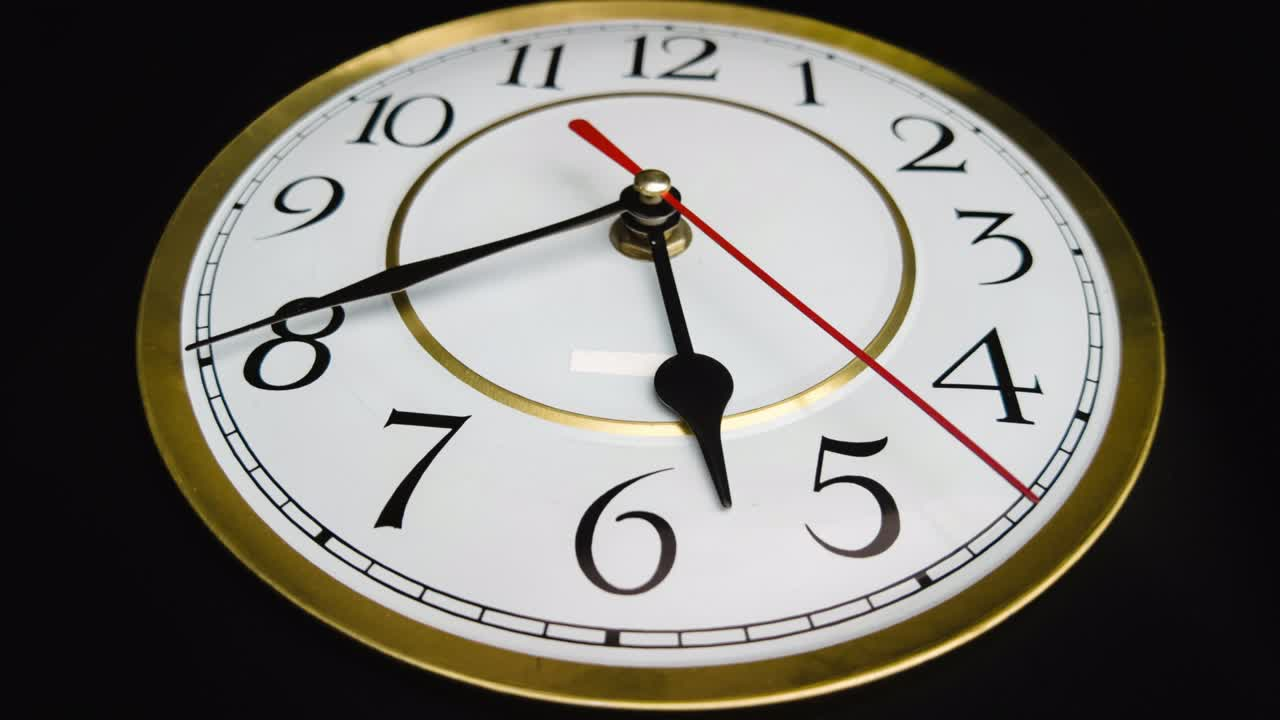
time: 5:40
